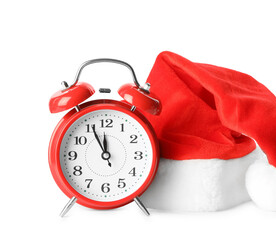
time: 11:55
